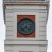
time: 4:38
